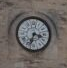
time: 3:33
